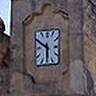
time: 5:49
